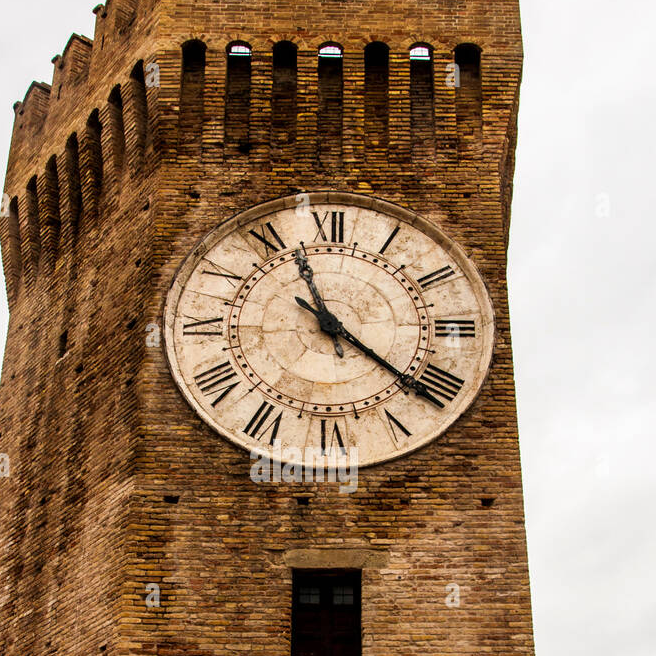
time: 11:21
